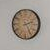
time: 2:25
